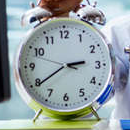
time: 2:39
